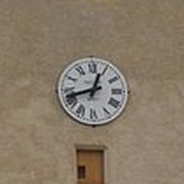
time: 12:42
